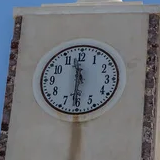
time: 11:30
